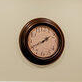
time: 1:40
